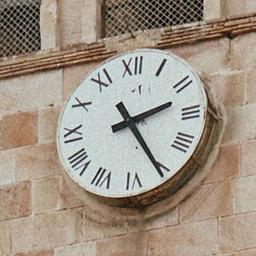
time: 2:25
